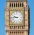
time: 9:44
